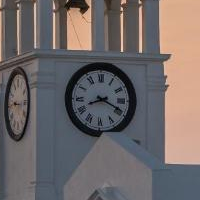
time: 8:19
